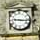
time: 9:16
